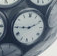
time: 9:10
